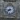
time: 8:37
